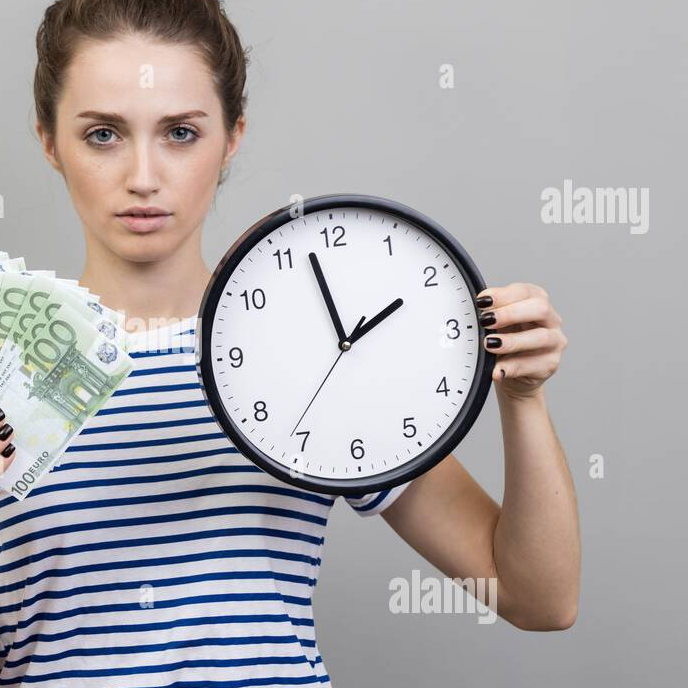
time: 1:57
